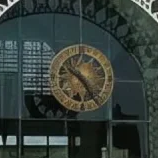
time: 10:24
